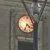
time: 4:33
